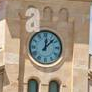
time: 12:07
